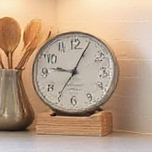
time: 9:04
